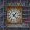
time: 1:22
